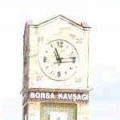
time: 11:13
